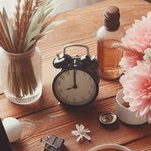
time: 7:59
